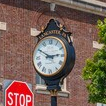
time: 2:50
